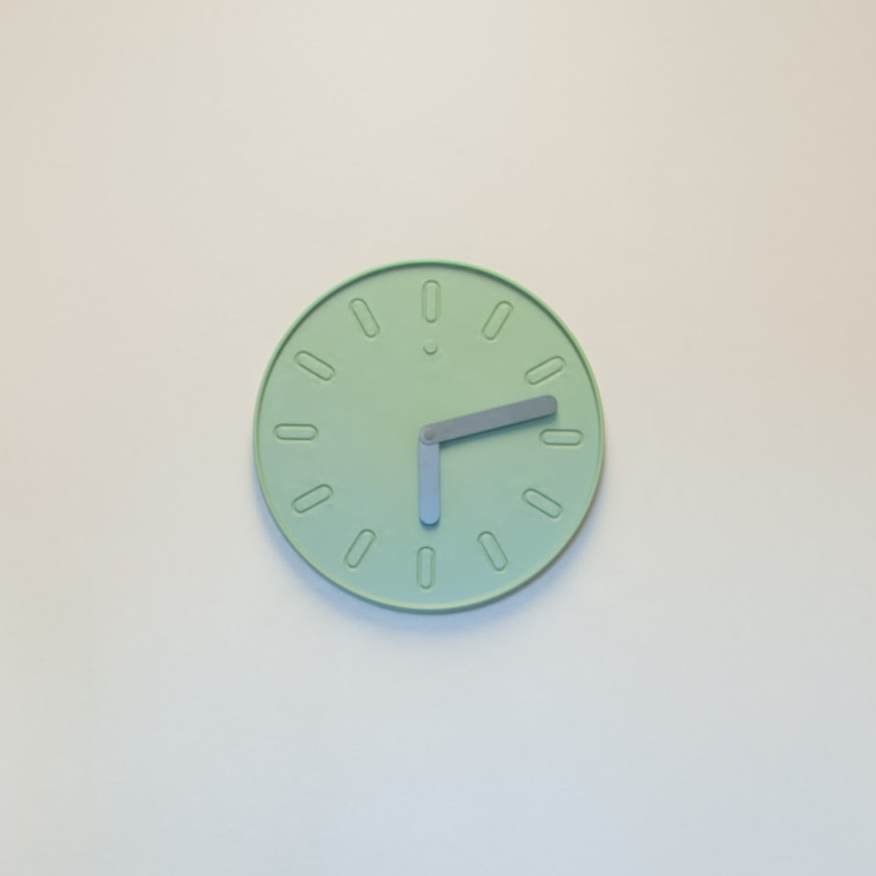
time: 2:29
